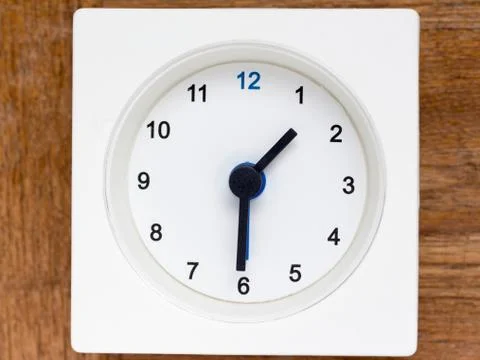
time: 1:30
